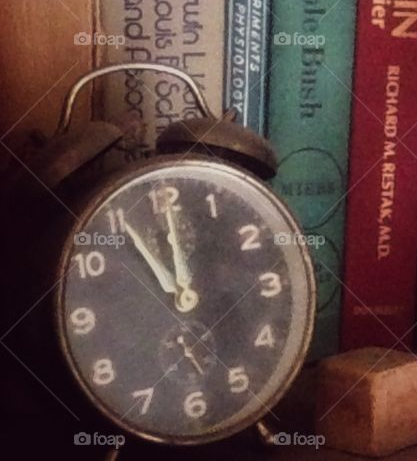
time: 11:00
